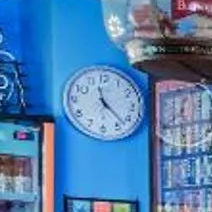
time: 11:22
